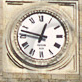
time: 12:47
